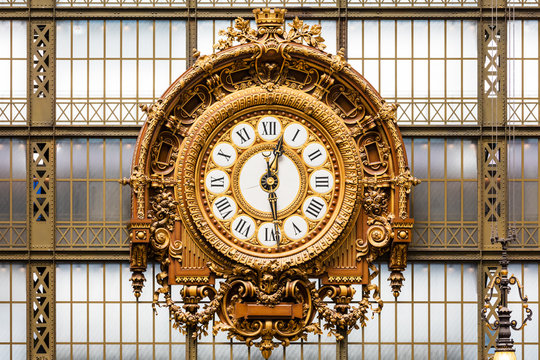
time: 12:28
